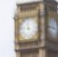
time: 11:46
